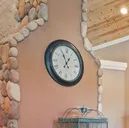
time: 12:55
